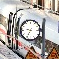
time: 9:34
